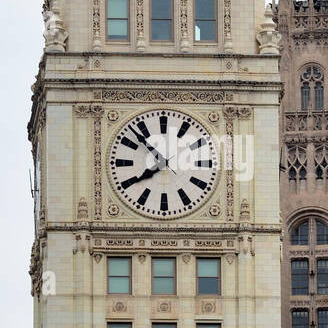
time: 7:52
